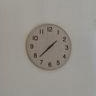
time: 1:37
